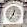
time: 12:34
